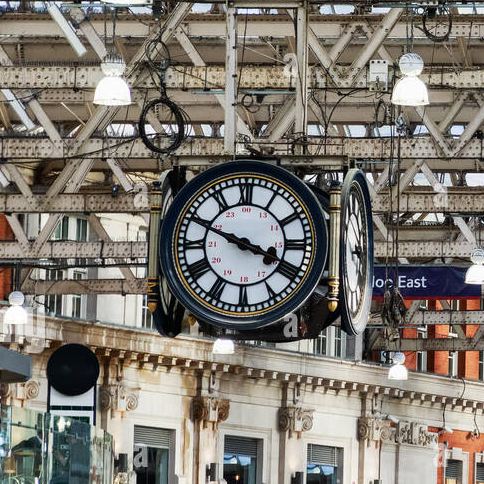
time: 3:48
